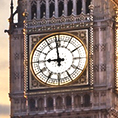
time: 8:58
